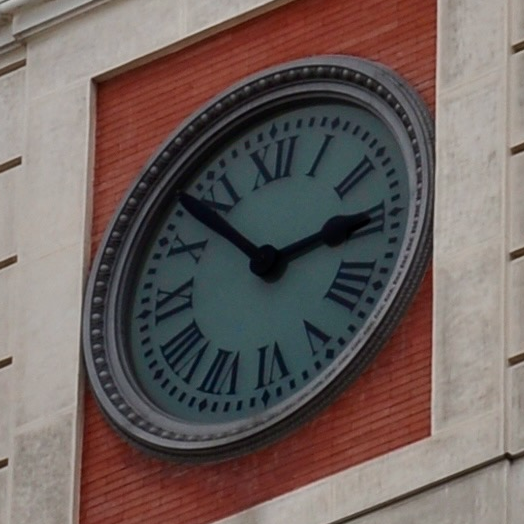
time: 2:52
